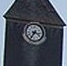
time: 3:35
